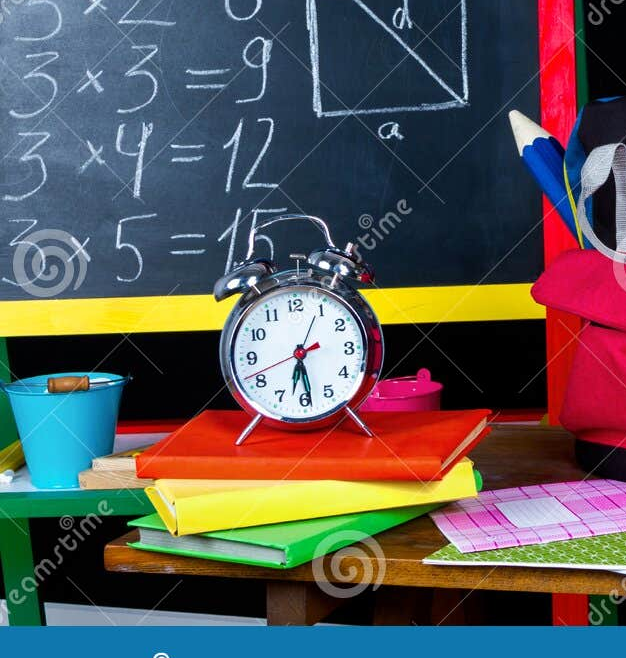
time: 6:28
